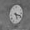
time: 5:18
